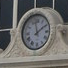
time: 1:57
